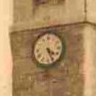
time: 4:26
